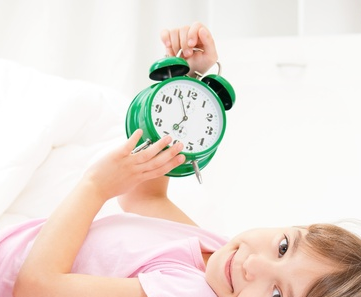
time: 6:55
